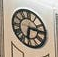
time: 6:14
